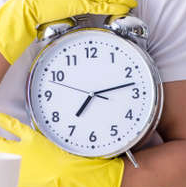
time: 7:12
